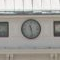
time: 11:28
